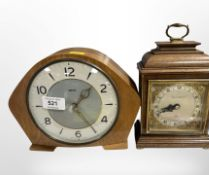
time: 1:24
